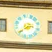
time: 2:40
